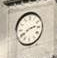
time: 2:40
